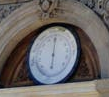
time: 6:00
